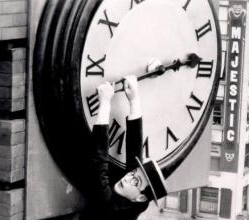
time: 2:13
